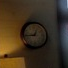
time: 12:44
